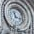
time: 11:17
